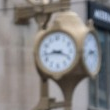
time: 3:43
